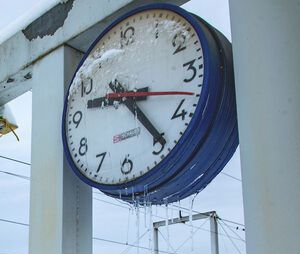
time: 9:24
